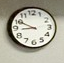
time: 8:49
